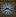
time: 8:18
